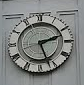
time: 2:26
